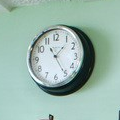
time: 1:24
